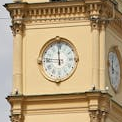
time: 11:46
